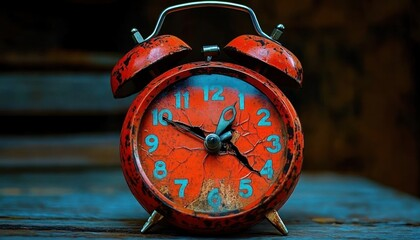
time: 12:49
